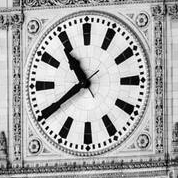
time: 10:39
